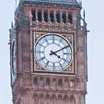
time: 4:10
